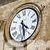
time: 4:28
